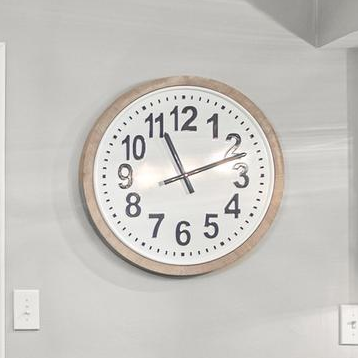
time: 11:11
